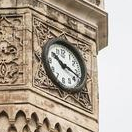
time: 10:17
